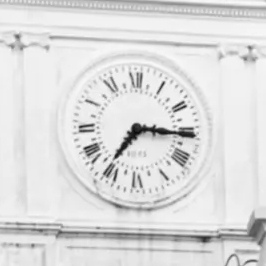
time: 7:15
